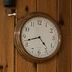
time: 4:42
